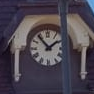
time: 1:53
